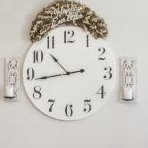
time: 10:43
